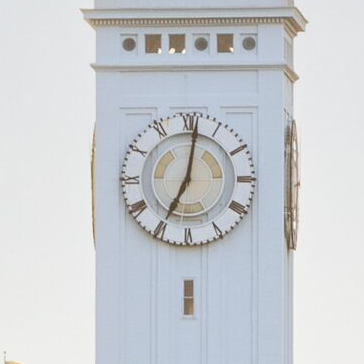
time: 7:01
